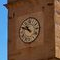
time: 10:48
